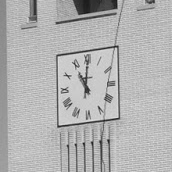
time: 11:00
